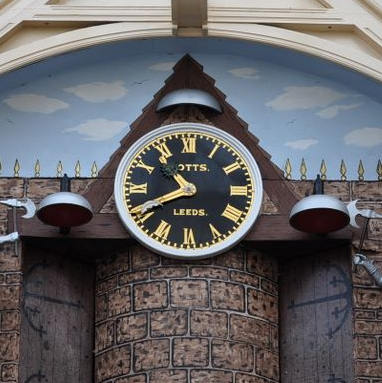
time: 10:40
